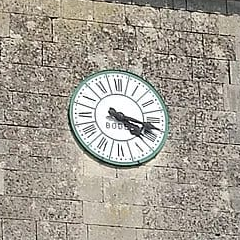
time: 4:17
